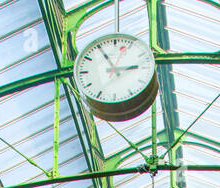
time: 2:55
